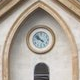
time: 9:51
